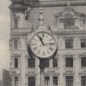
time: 11:13
